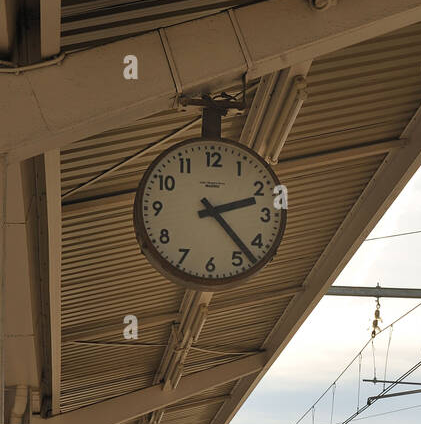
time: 2:23
